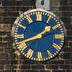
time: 1:41
